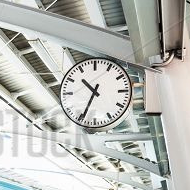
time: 10:34
